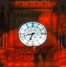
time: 6:42
